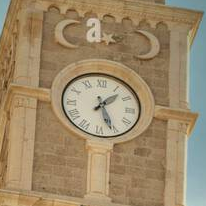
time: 1:26
